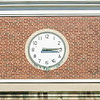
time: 3:14
